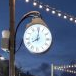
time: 8:01
